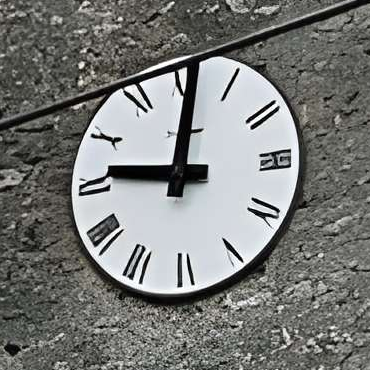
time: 9:01
